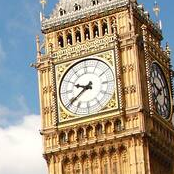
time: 9:39
